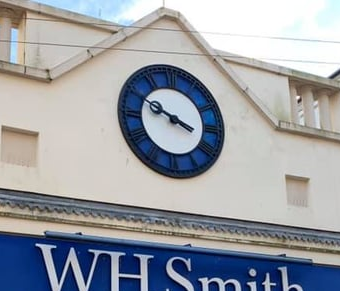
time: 3:49
